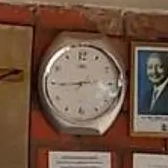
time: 8:44
